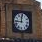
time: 11:44
